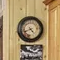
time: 4:41
